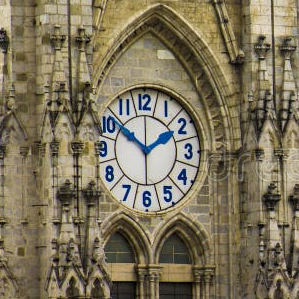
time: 1:50
